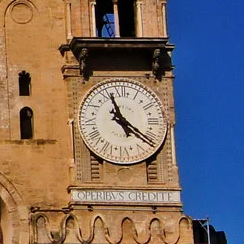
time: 11:21
